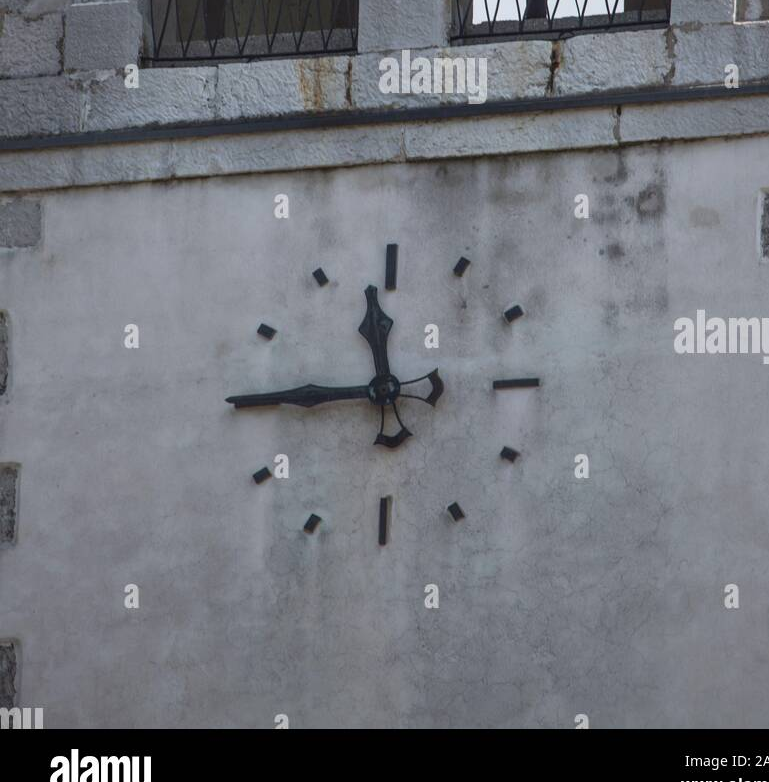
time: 11:45
